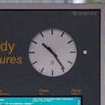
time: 10:24
